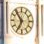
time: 6:53
